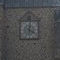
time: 4:01
